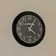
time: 4:04
